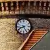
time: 8:25
